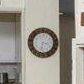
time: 3:32
